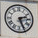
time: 2:26
